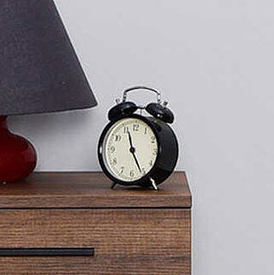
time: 11:25
